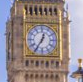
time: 12:35
